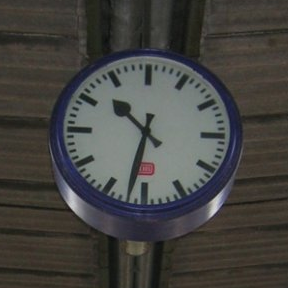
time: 10:32
